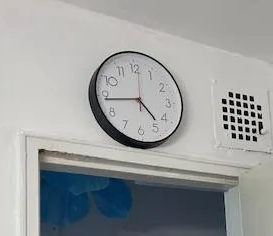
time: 4:44
